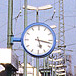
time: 5:17
